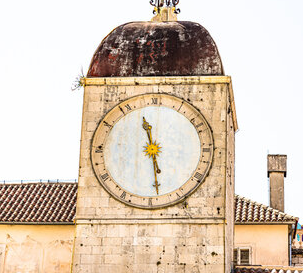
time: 11:28
